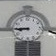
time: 8:45
